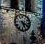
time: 5:18
